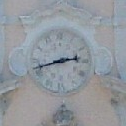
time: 2:42
